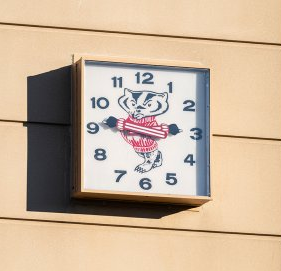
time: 2:46
